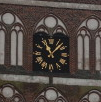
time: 11:07
